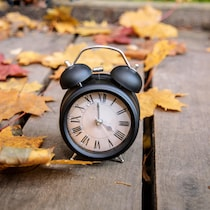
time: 3:58
